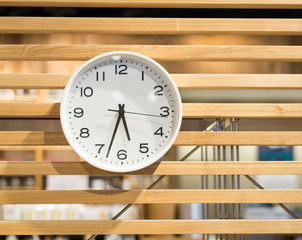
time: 5:33
